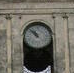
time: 10:52
